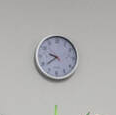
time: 9:38
